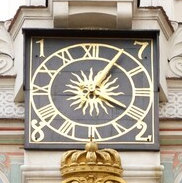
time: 4:05
